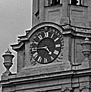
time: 4:44
